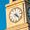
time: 4:22
